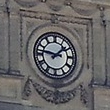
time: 1:46
